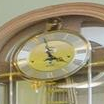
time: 3:57
